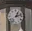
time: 1:12
